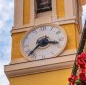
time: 3:37
